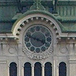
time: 3:48
